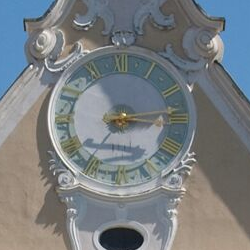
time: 3:13
